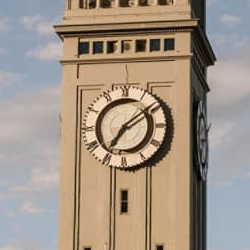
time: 7:09
